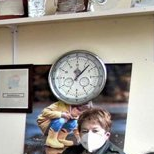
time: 12:07
